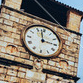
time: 2:58
